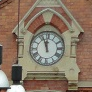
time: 11:56
